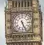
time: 5:26
